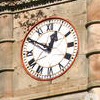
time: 12:50
